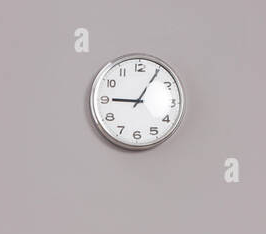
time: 9:05
